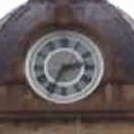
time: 2:34
